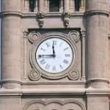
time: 11:44
